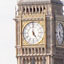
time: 4:59
